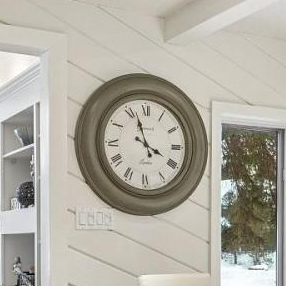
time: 3:57
